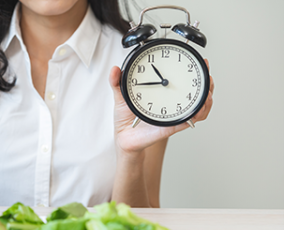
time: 10:44
